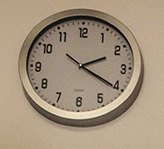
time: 2:20
